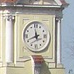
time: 11:41
